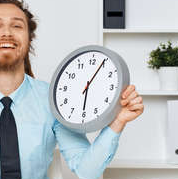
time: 6:04
